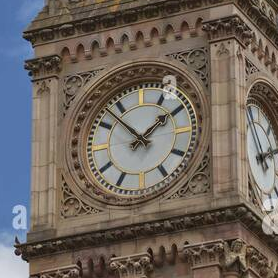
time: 1:52
